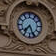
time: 7:26
